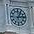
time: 1:13
